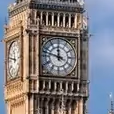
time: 11:47
